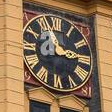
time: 2:56
